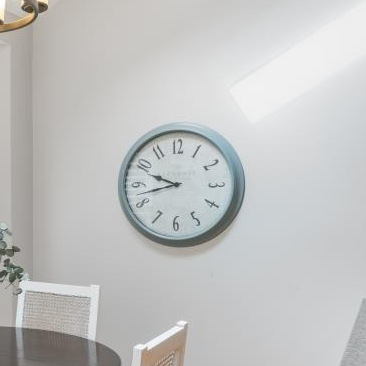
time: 9:42
